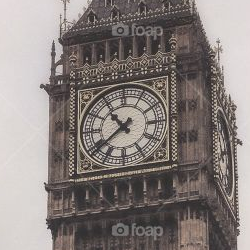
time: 10:38
